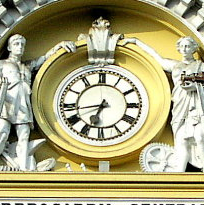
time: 6:43
